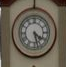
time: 4:27
